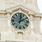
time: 2:02
